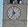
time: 11:35
